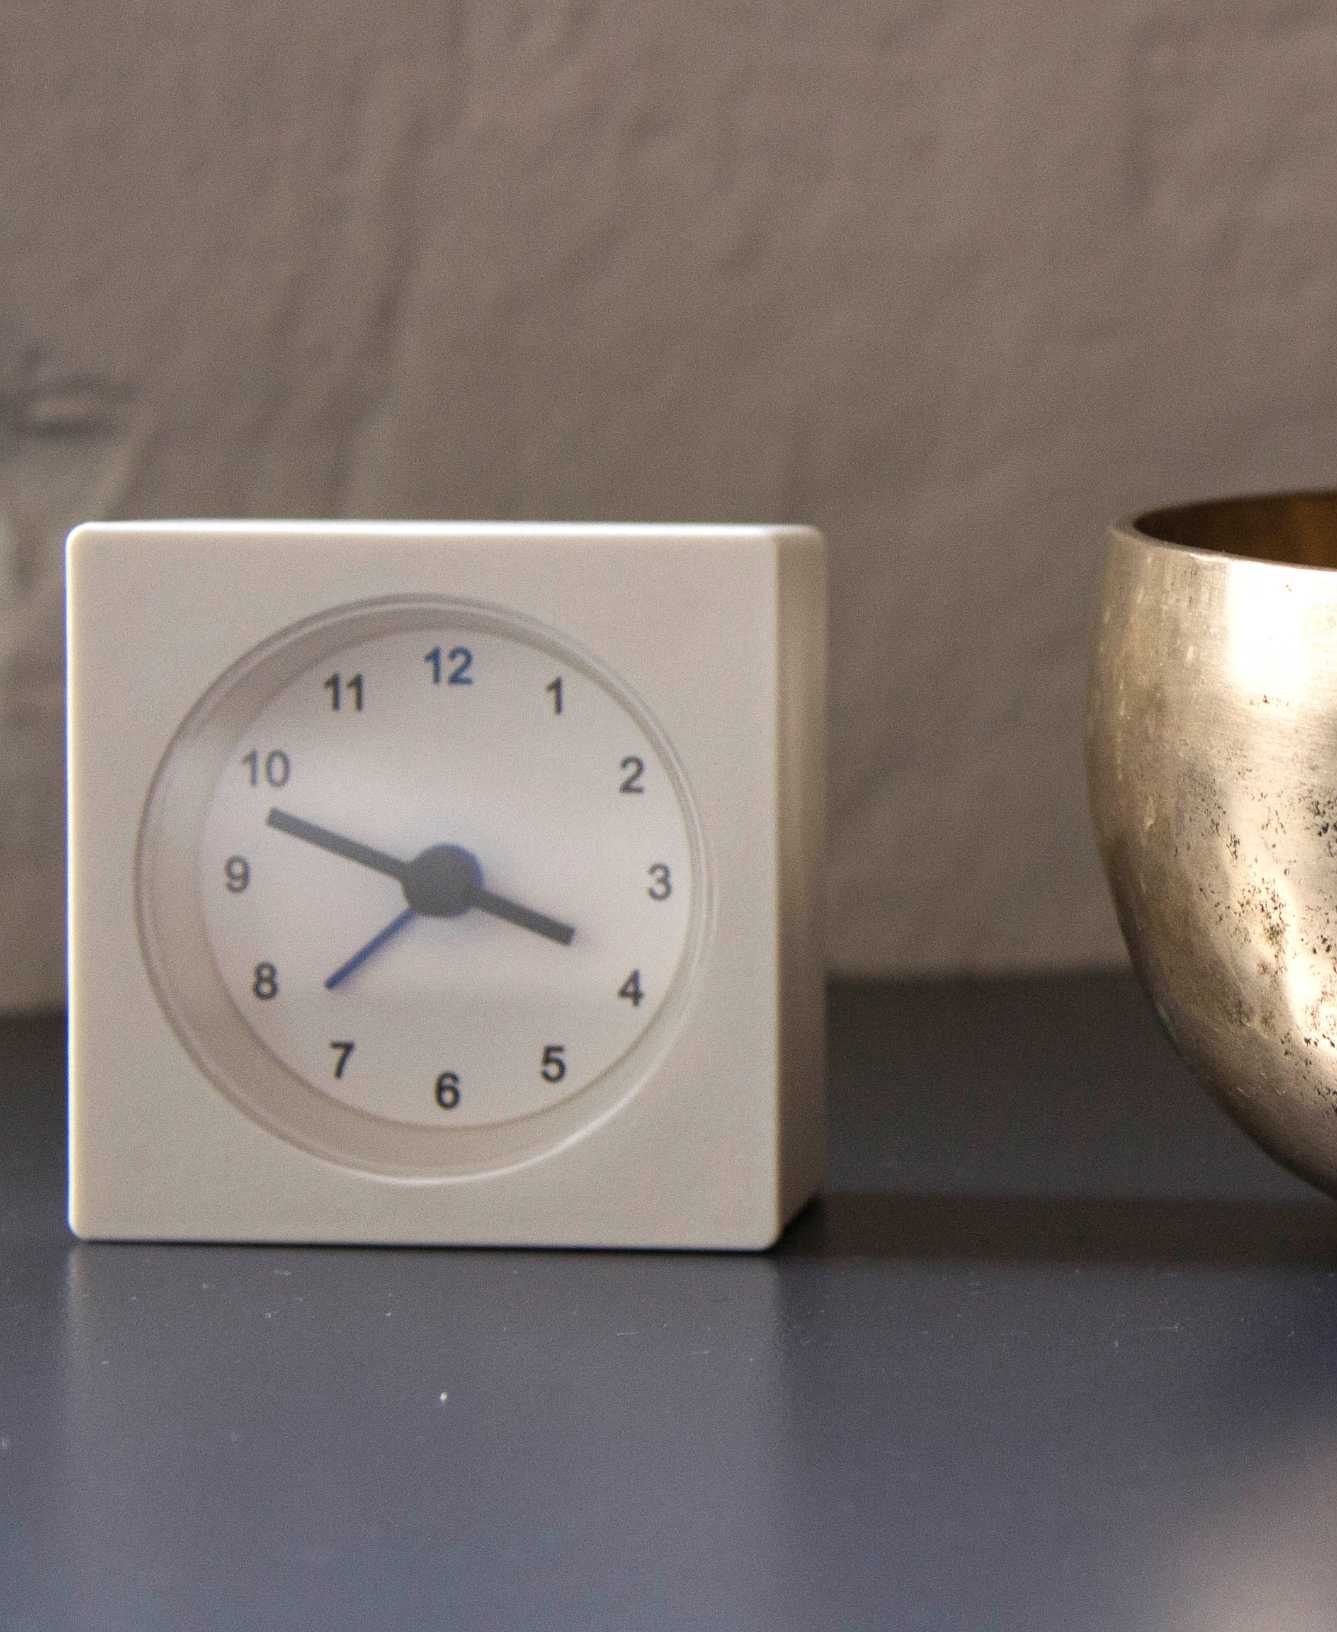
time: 3:48
